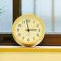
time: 2:58
